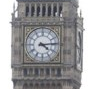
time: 4:13
